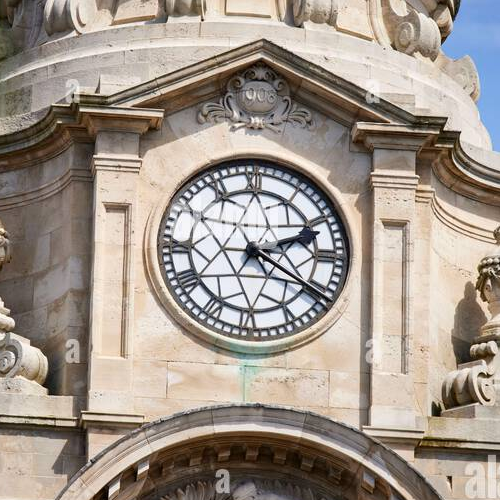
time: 2:19
